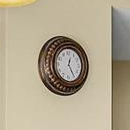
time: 12:24
